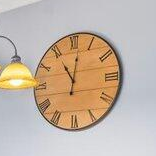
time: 11:01
